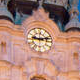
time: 9:12
